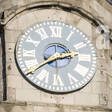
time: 2:39
